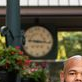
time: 9:15
